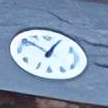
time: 12:51
